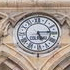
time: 5:14
